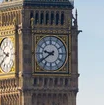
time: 9:39
